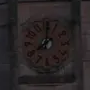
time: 8:00
